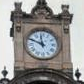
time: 11:48
